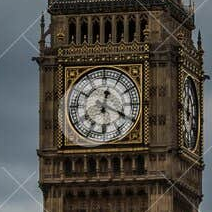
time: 12:19
